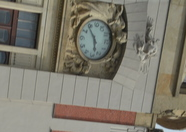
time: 5:54
